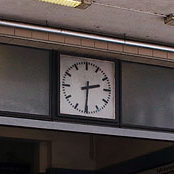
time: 2:30
